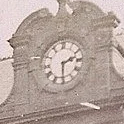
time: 2:30
